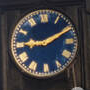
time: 9:10
